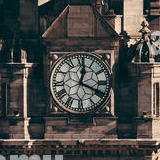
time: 12:19
